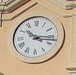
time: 10:15
